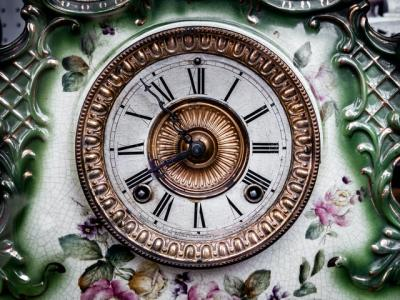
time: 10:40
